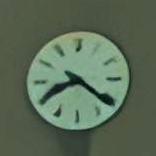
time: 8:21
